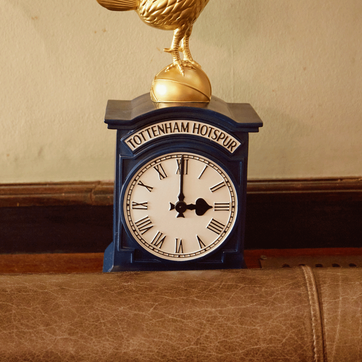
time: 3:00
